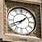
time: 1:41
